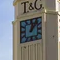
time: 12:06
